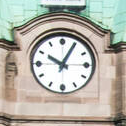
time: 10:04
